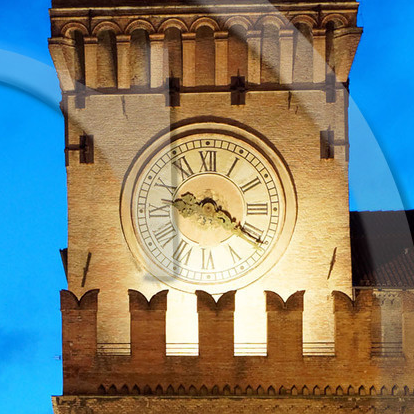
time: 9:20
